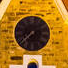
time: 7:38
